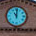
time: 11:01
